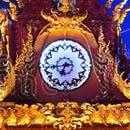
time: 6:43
